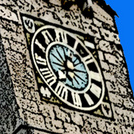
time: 12:14
